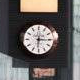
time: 6:15
